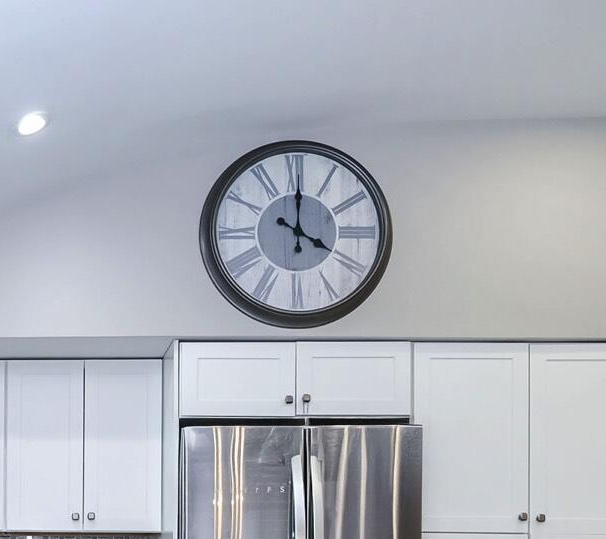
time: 4:00
